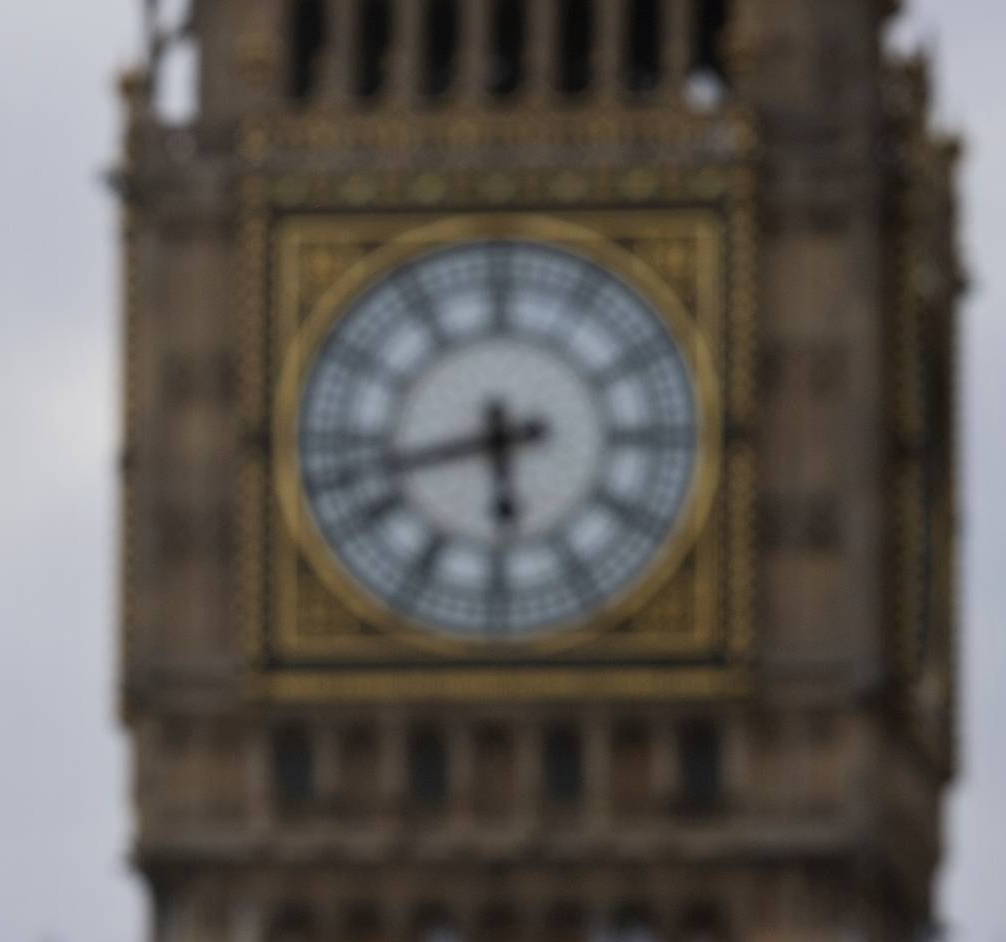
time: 5:42
